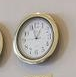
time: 12:57
